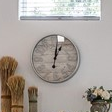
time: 1:01
